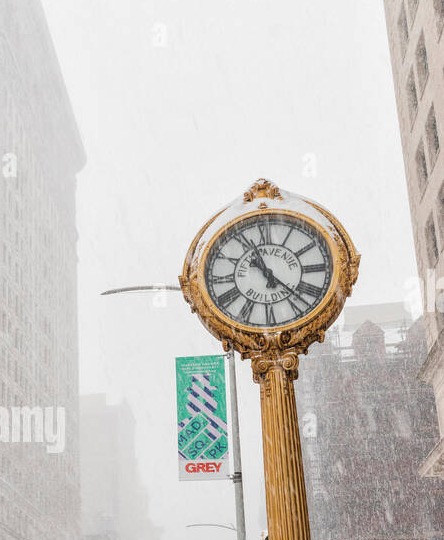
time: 11:22
